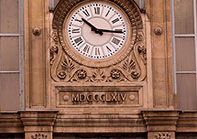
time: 10:15
